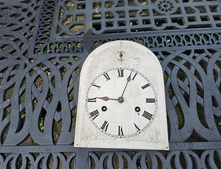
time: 9:03
